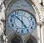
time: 4:52
